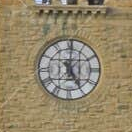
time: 5:00
